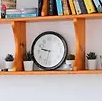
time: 9:32
